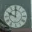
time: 10:00
